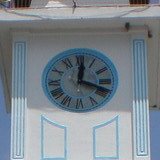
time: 12:18
